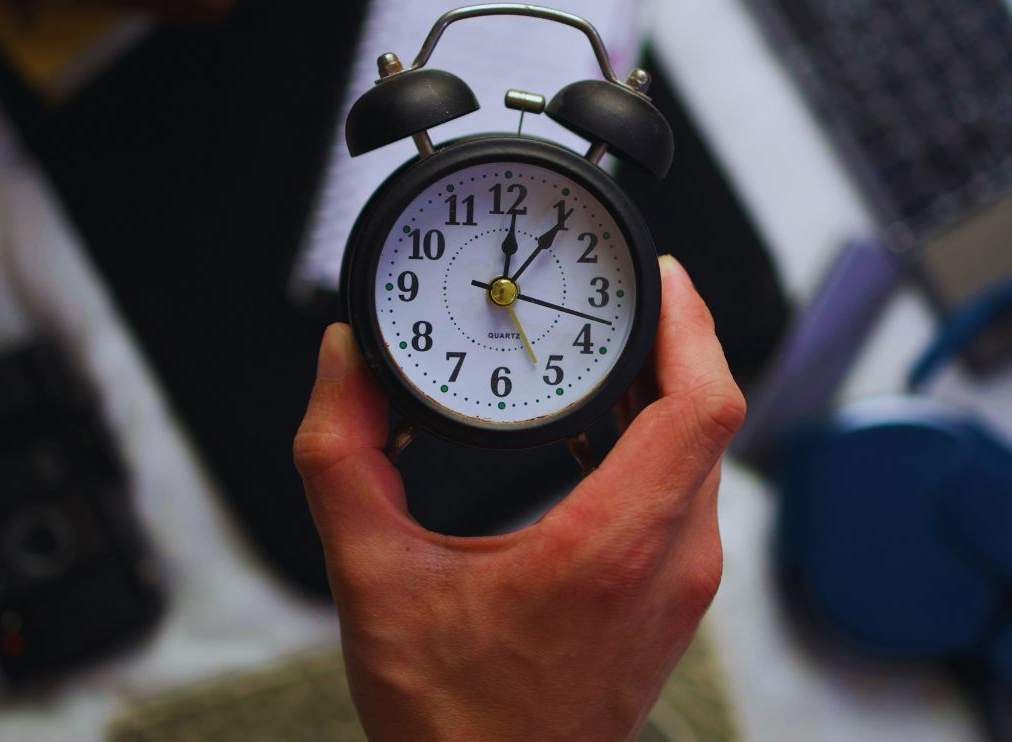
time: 12:06
